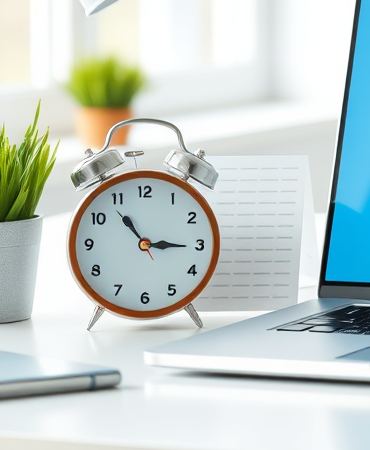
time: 2:53
